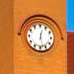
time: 12:27
